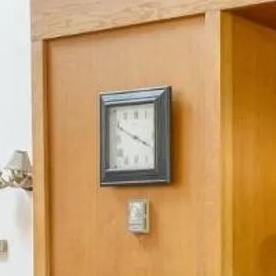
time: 3:49
